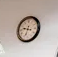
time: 9:33
